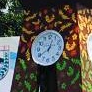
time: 12:39
